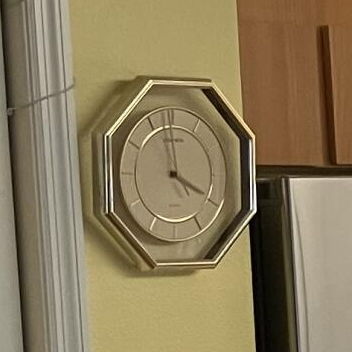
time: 3:58
